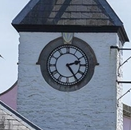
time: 2:24
